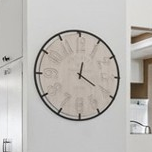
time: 4:02
